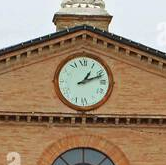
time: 1:11
